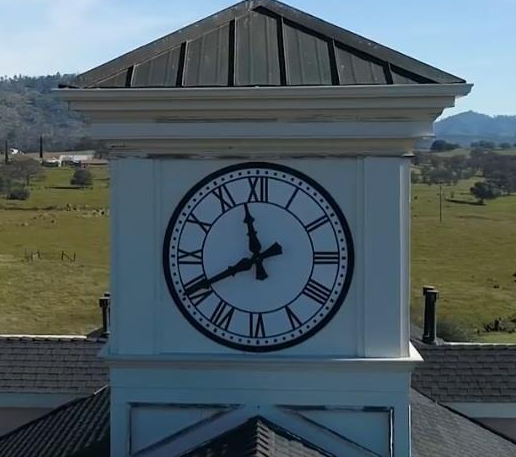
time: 11:40
